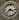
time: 3:38
